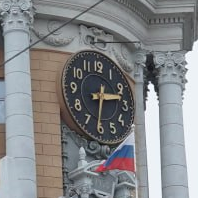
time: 2:31
